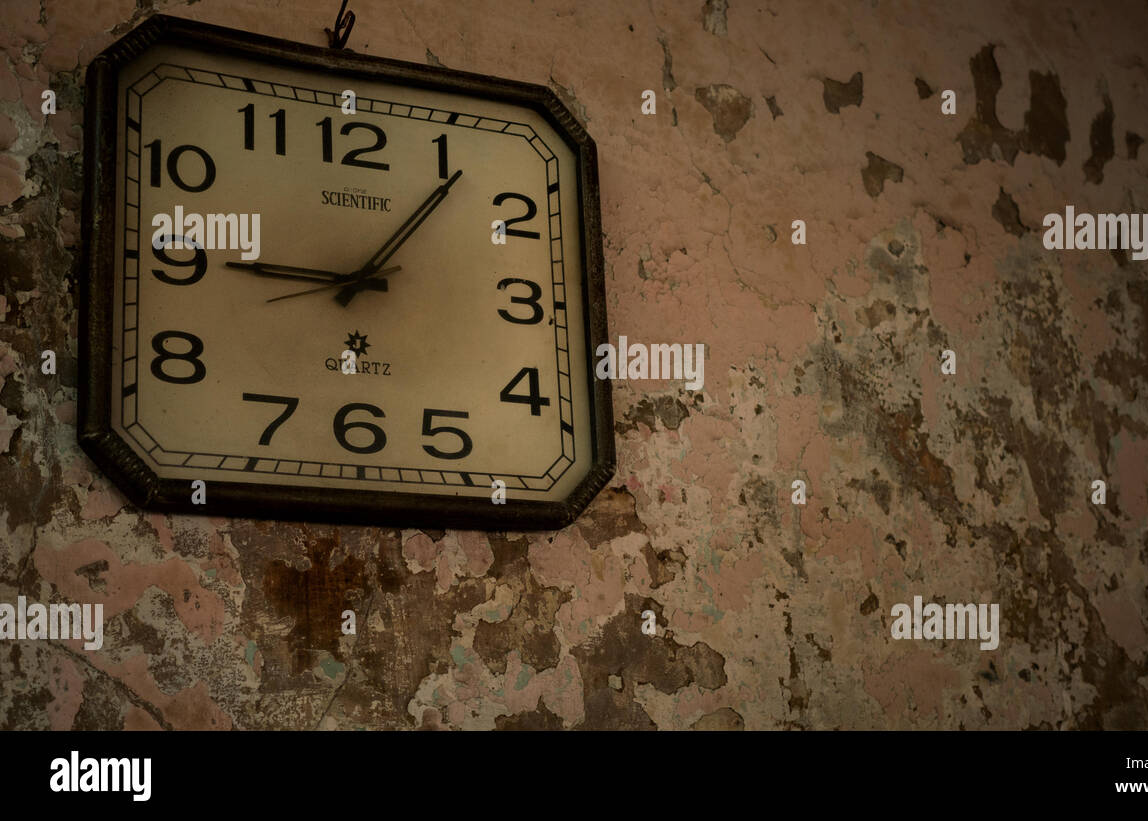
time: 9:06
